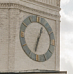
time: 12:32
